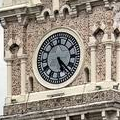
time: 5:22
